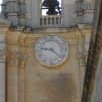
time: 9:22
